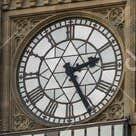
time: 2:25
